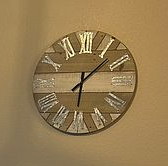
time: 6:07
